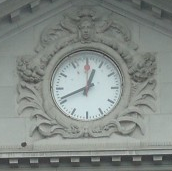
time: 12:41
